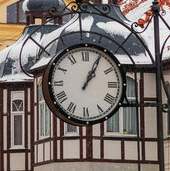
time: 1:04
